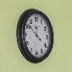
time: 11:51
